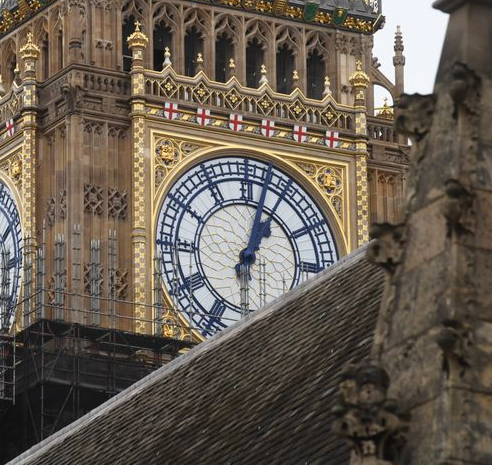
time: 1:02
